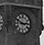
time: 2:48
